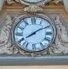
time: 8:09
